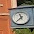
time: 11:37
